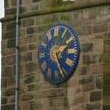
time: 2:26
